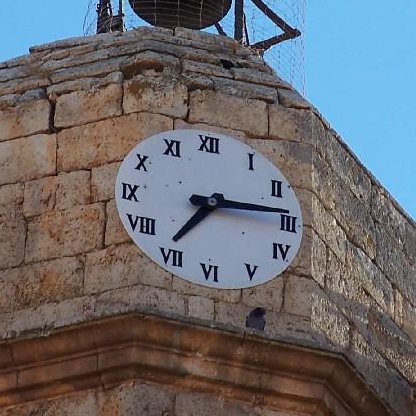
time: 7:14
